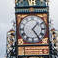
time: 1:24
